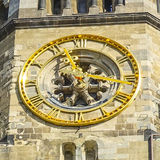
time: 4:56
